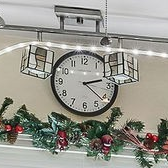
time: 2:21
